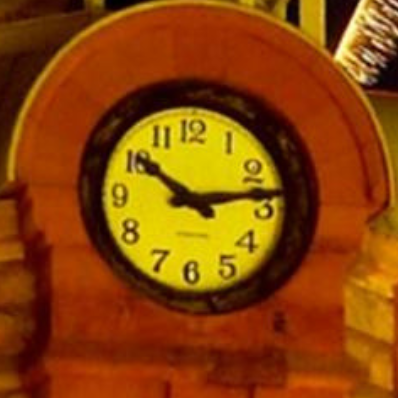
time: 10:13
